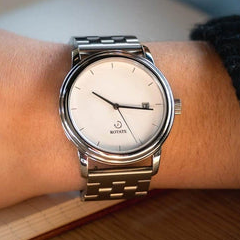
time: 10:16
